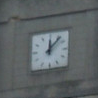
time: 12:06
